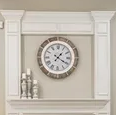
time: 1:20
